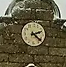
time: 2:21
